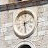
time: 2:28
